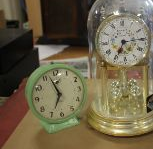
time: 6:57
